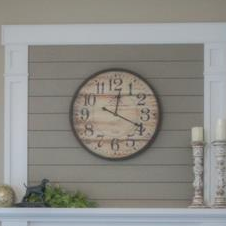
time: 12:19
